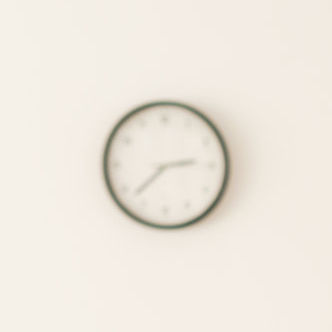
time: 2:37
